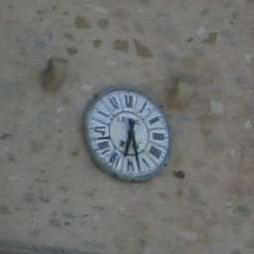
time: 6:27
